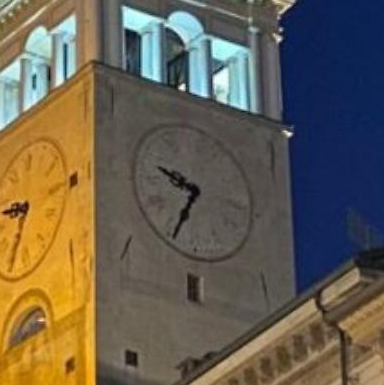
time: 9:34
